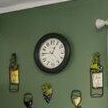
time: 12:45
